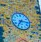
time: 7:15
